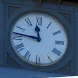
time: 11:46
